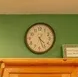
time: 4:26
